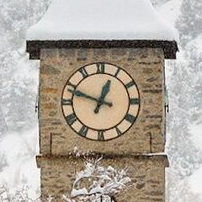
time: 12:48
